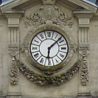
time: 6:08
